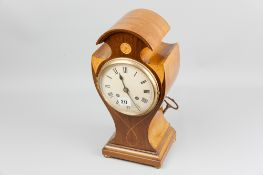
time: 11:25
